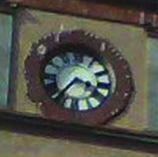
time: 3:35
